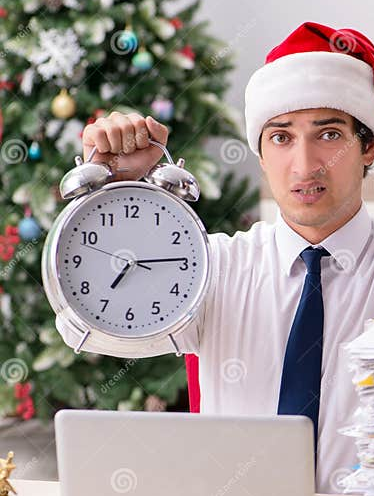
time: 7:14
